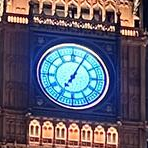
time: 7:04
